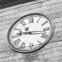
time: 9:17
